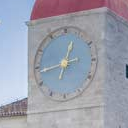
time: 12:43
